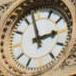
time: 2:58
